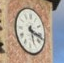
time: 5:17
